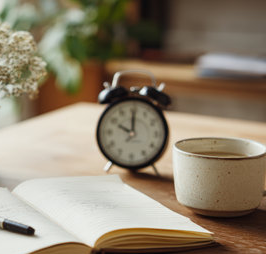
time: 10:00
